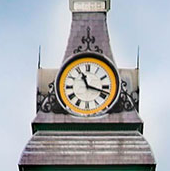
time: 11:17
